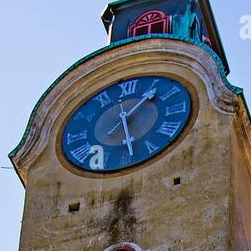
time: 1:28
